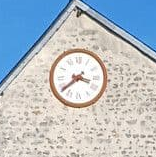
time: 3:38
